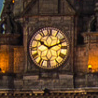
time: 10:11
